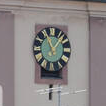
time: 11:07
